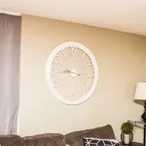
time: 9:44
